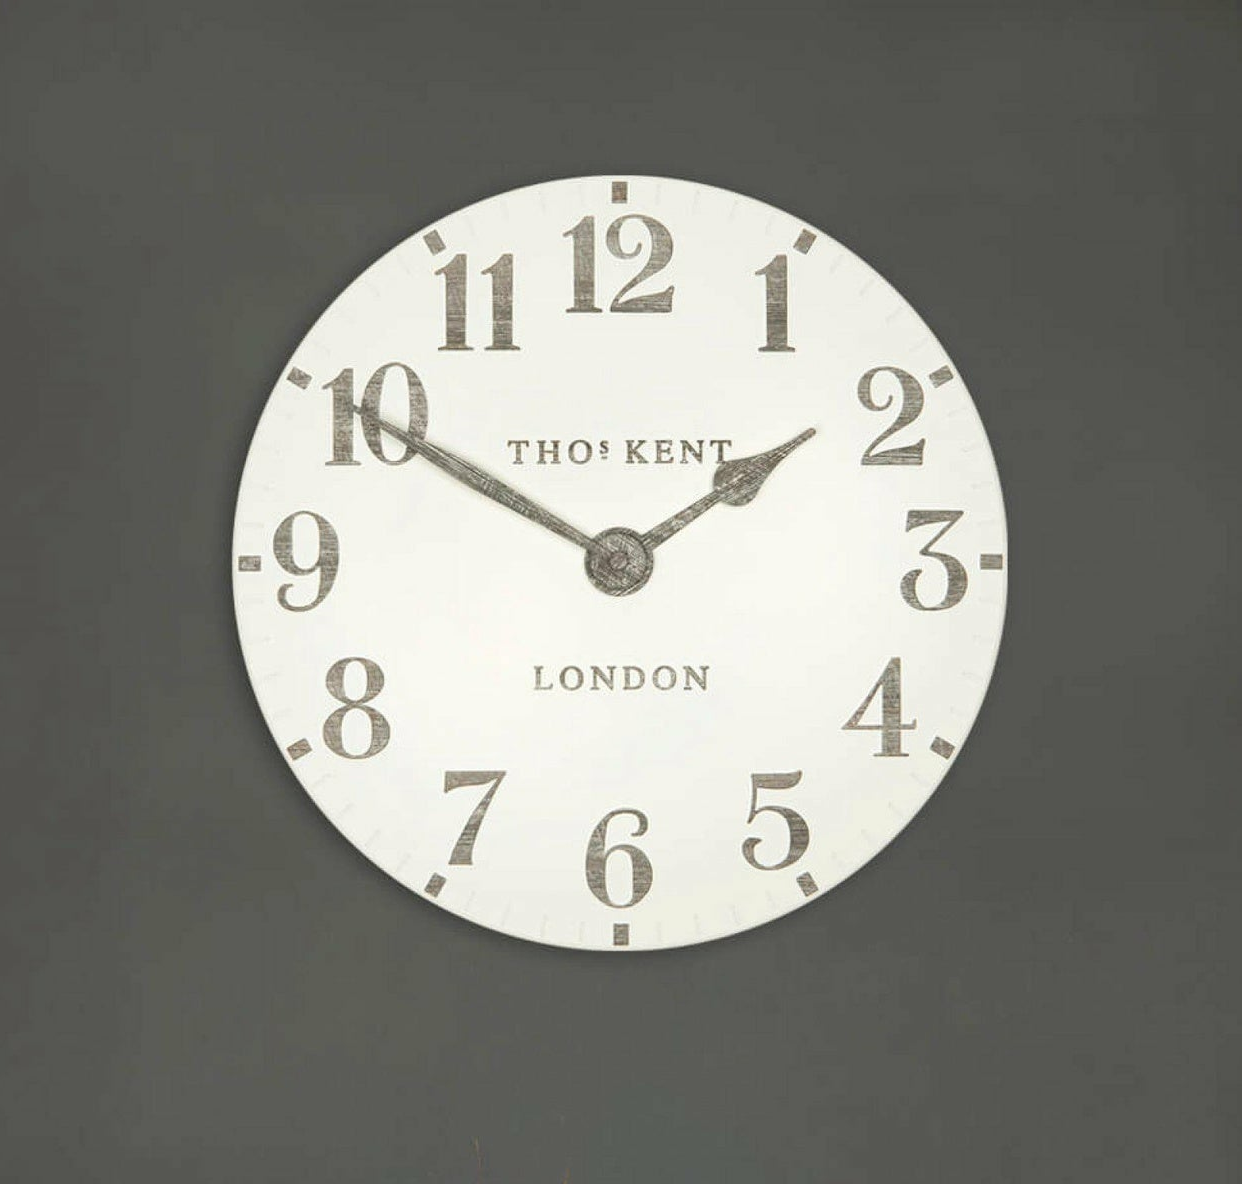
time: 1:49
